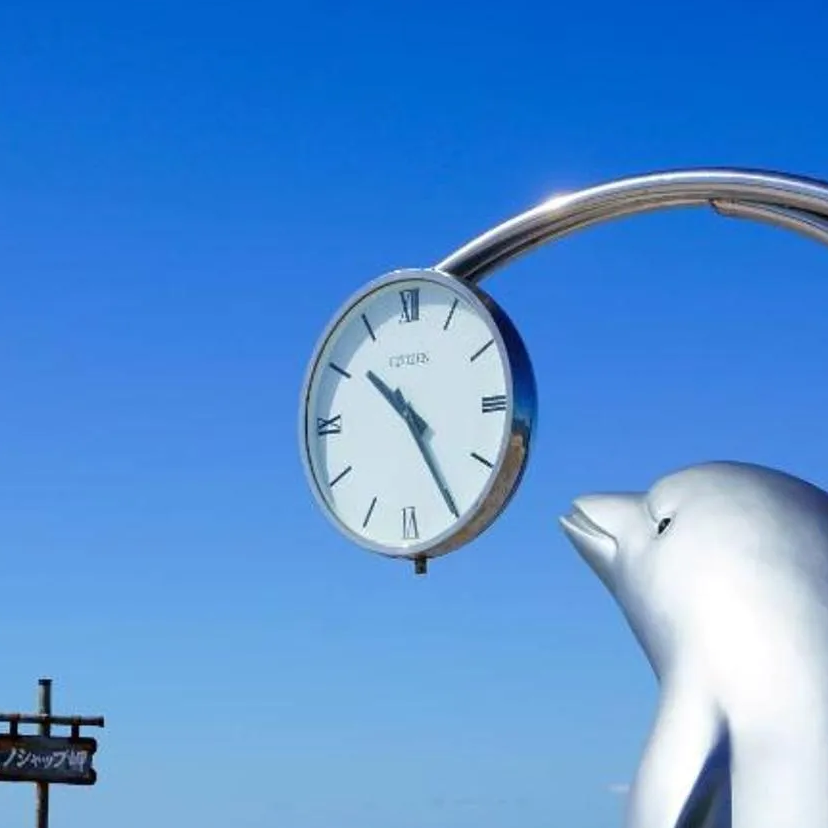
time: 10:24
